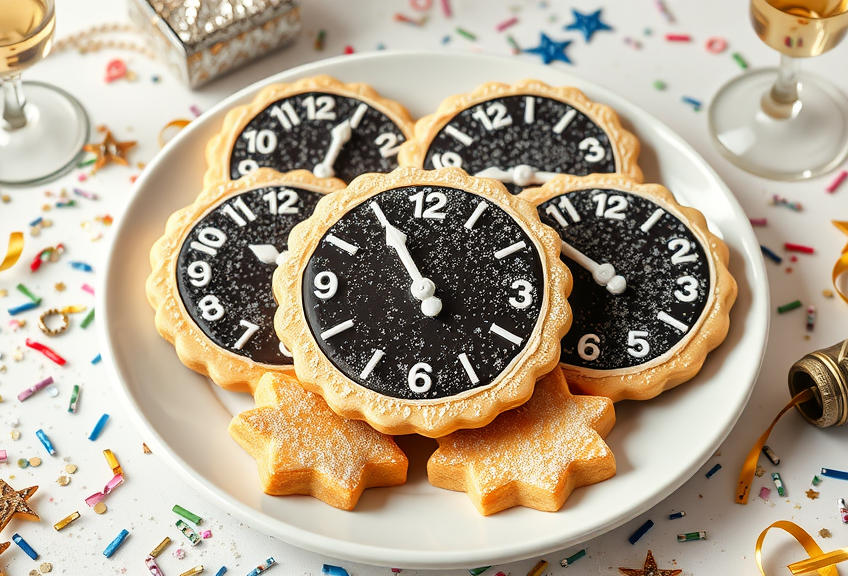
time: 10:55
